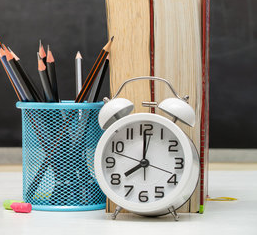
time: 7:59
